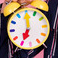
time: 7:00
